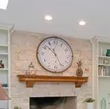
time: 10:25
